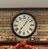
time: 7:06
